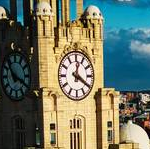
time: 12:20
